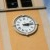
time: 3:13
